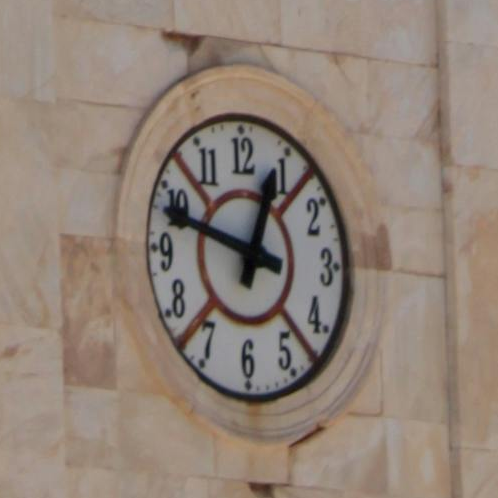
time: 12:48
